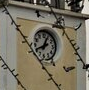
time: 12:41
